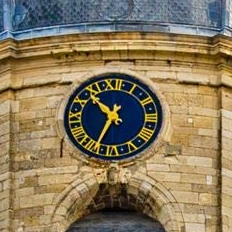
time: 10:34
